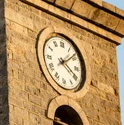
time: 4:08
